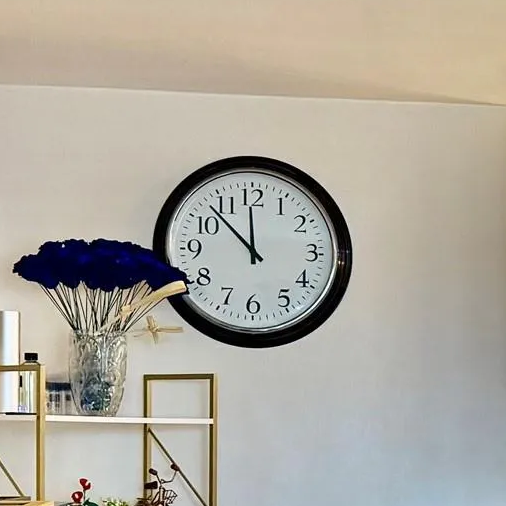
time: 11:52
